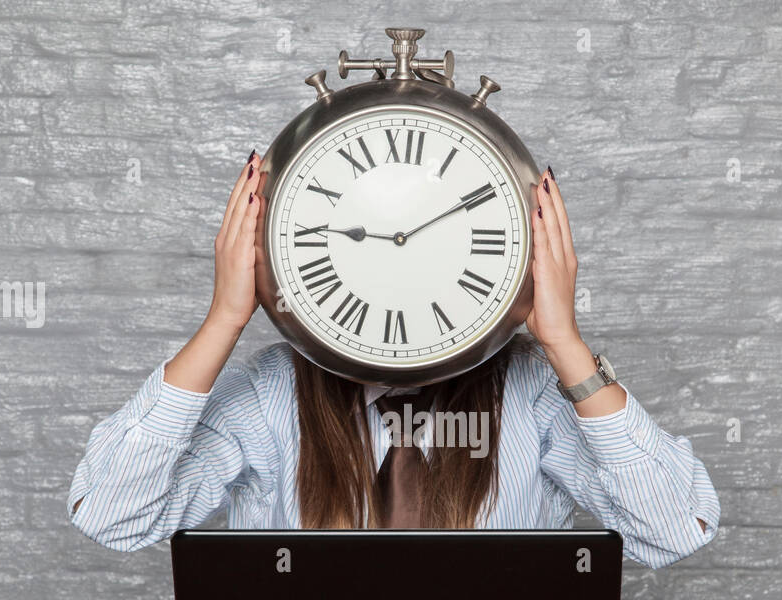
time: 9:10
